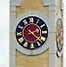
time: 2:21
